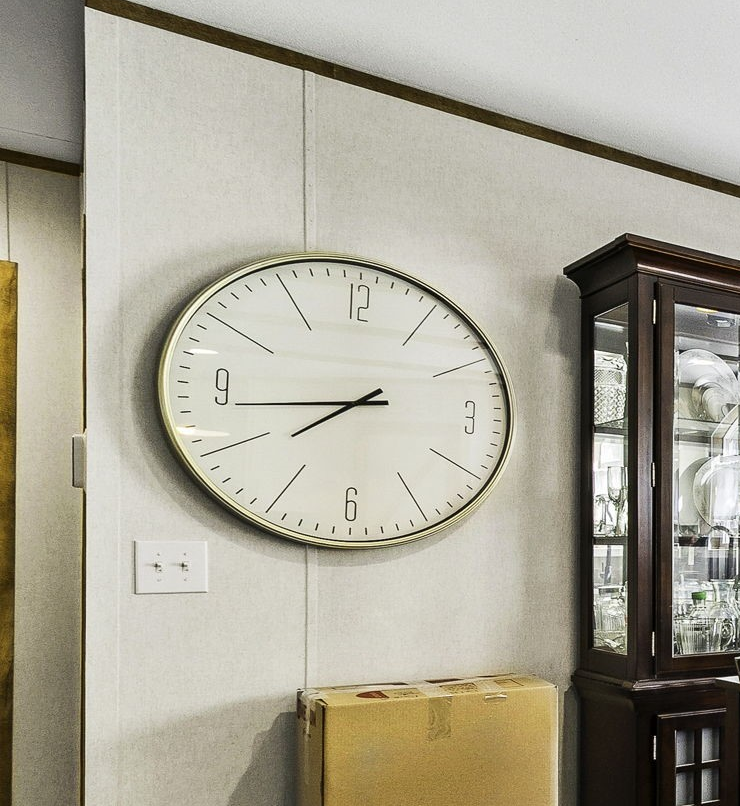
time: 7:42
